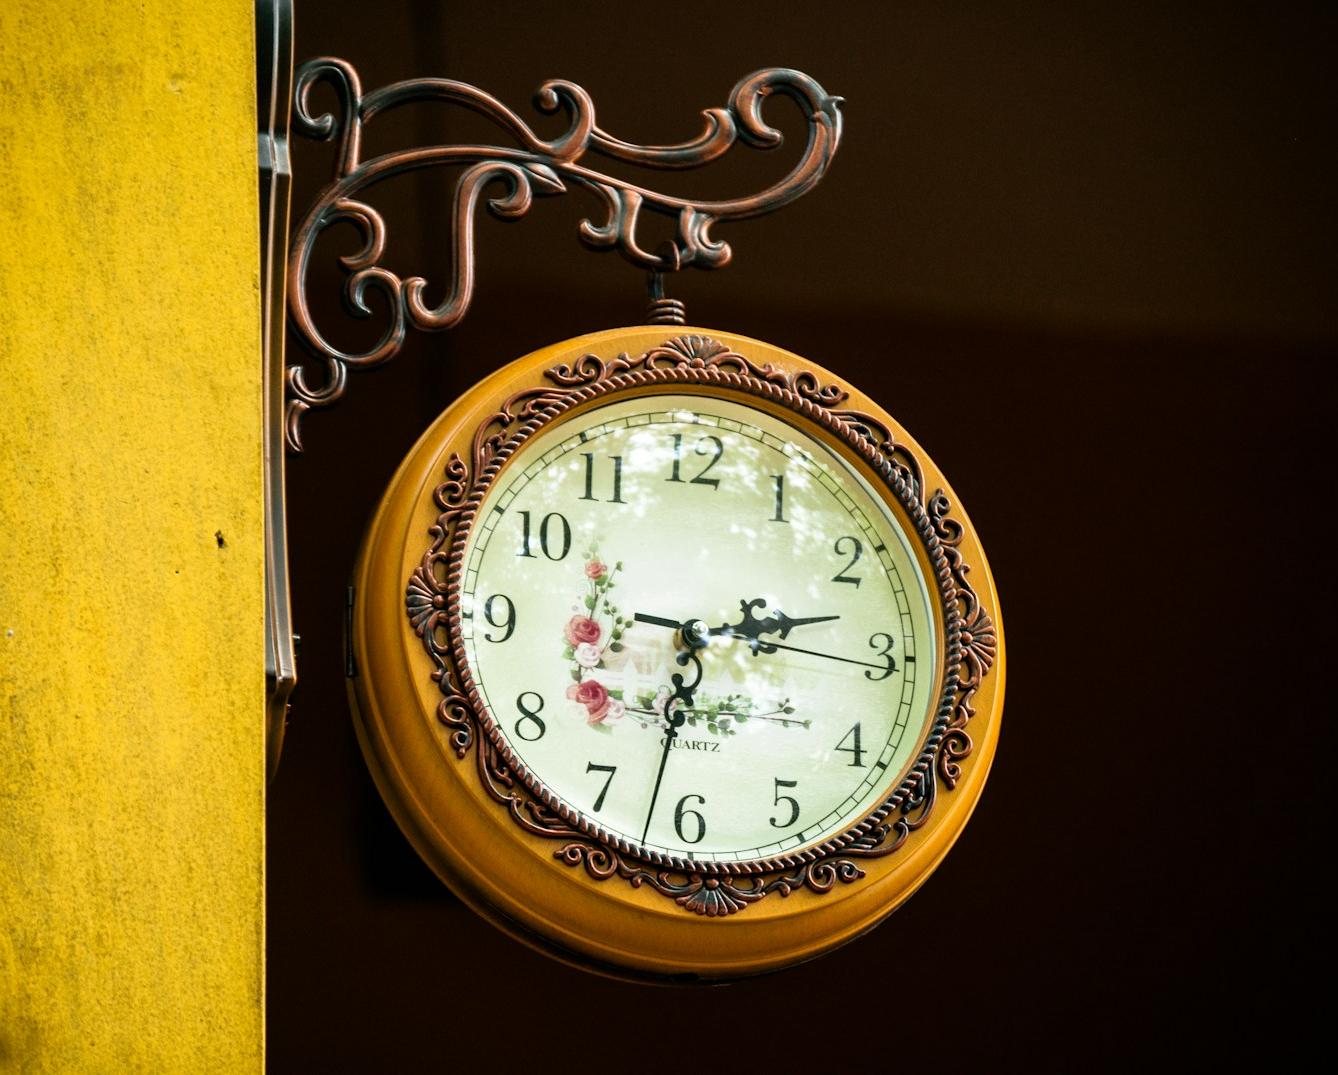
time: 2:32
